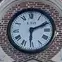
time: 6:10
